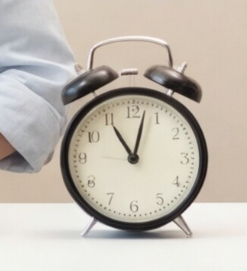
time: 11:02
